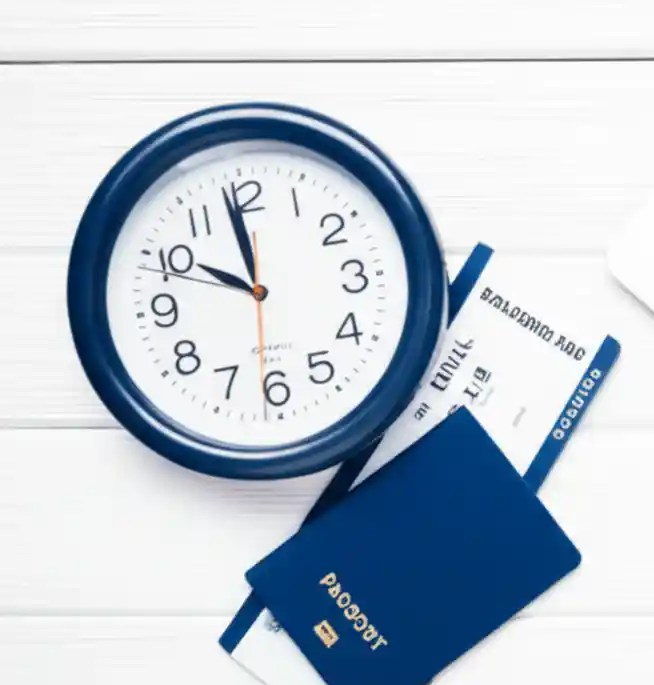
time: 9:58
